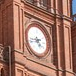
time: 4:42
